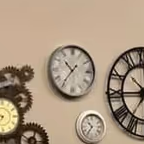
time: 10:36
